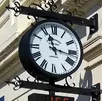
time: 11:16
